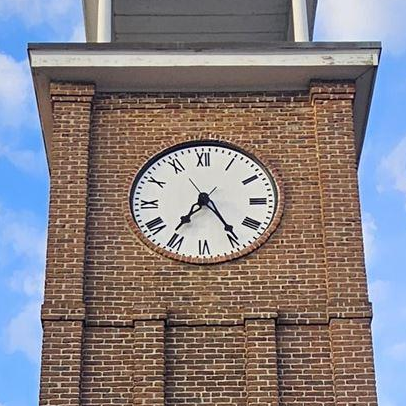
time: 7:24
